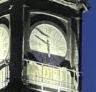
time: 5:49
